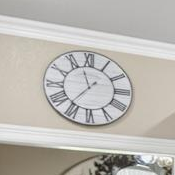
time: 11:36
